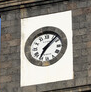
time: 7:07
